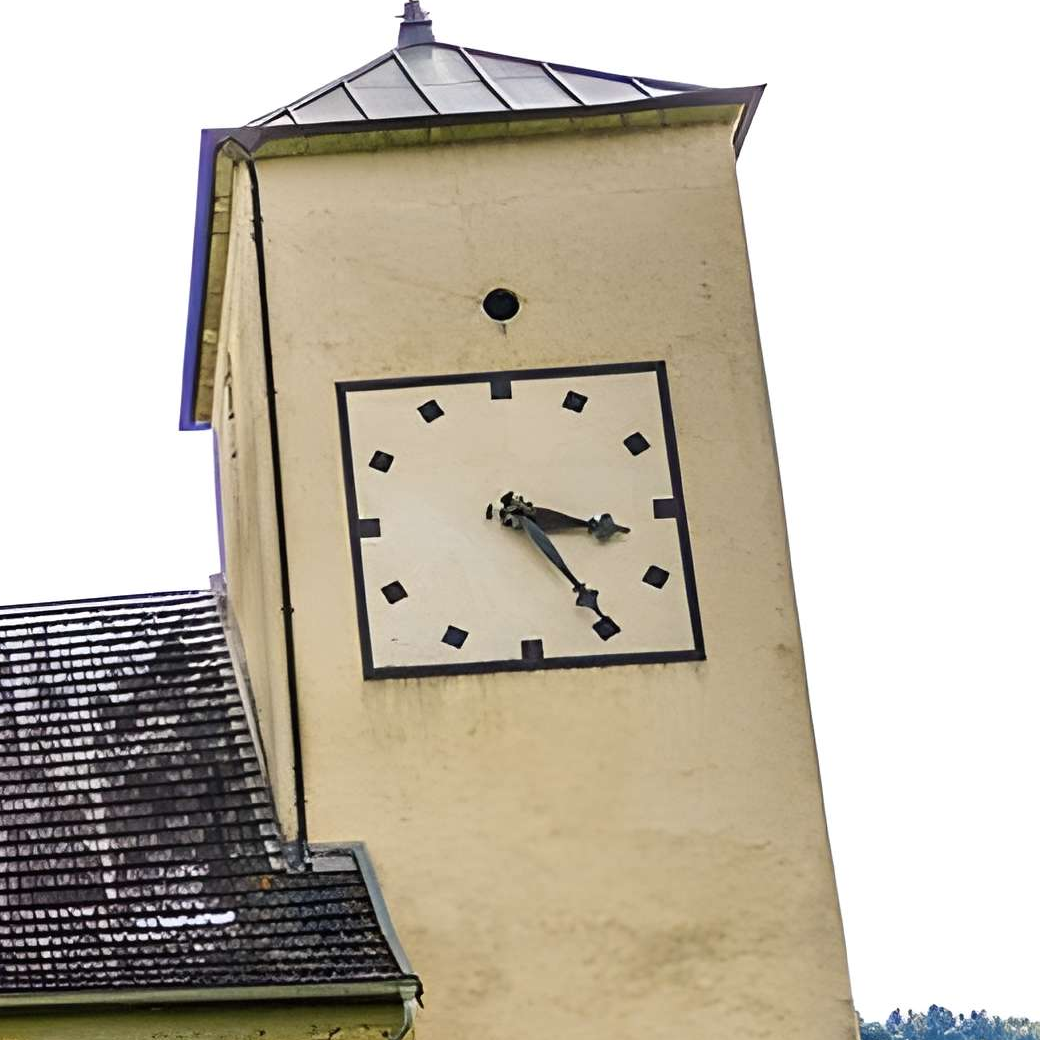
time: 3:24
